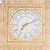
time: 7:11
